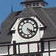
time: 4:20
